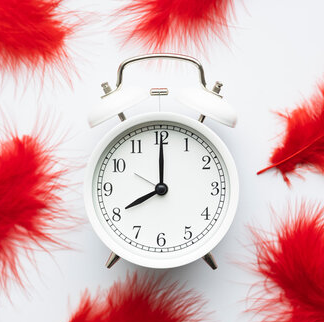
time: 8:00
